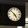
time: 4:52
